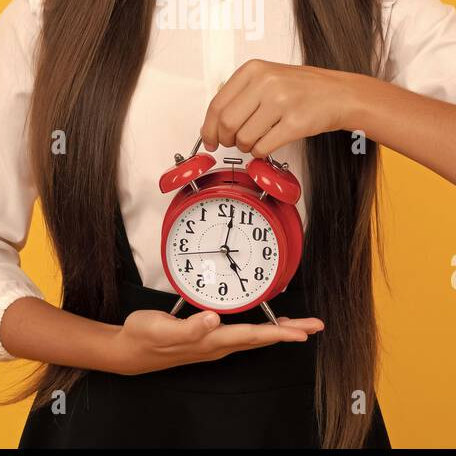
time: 5:01
